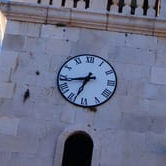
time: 6:43
